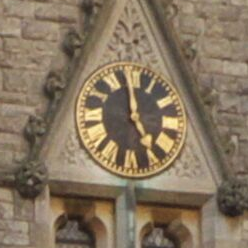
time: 4:59
